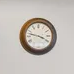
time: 3:47
